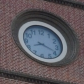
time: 8:18
